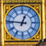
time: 12:46
